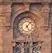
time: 5:06
